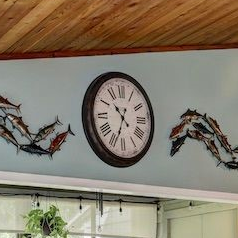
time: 10:33
